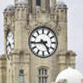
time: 4:44
